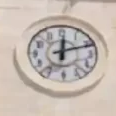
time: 12:11
